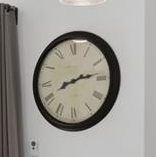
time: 8:13
